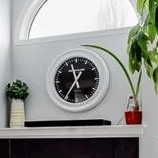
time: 11:35
